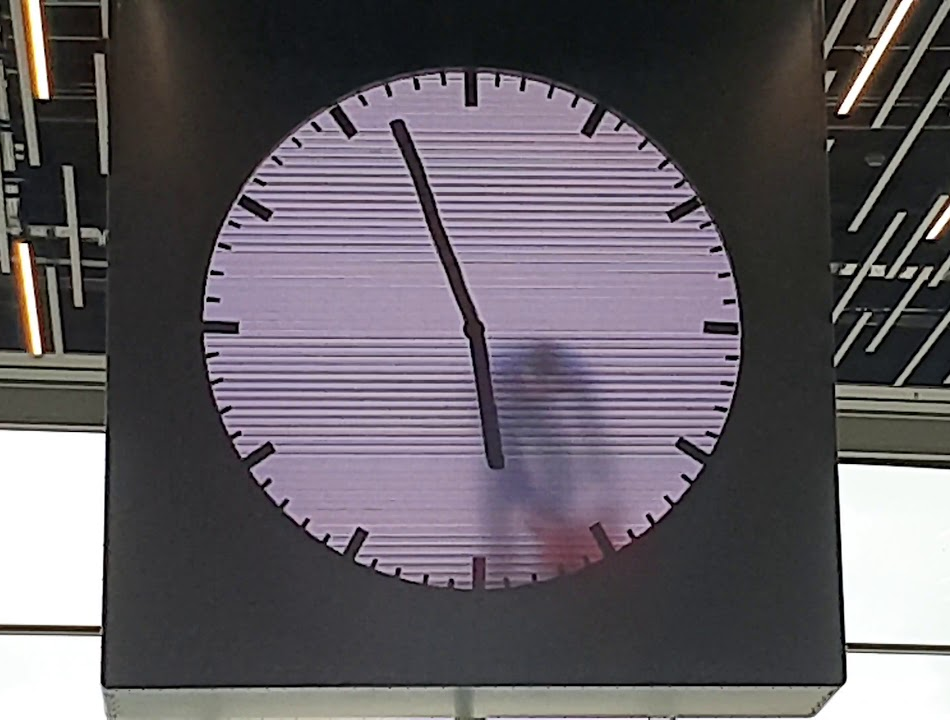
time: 5:57
